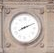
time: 8:11
